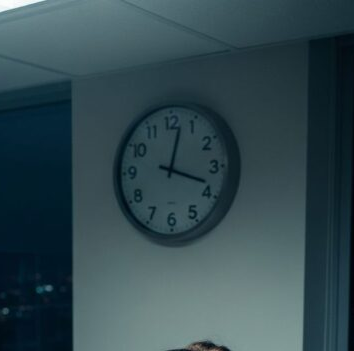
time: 12:18
